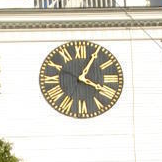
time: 4:04
